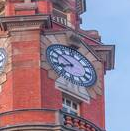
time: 7:50
